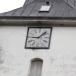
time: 9:07
